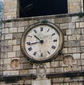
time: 10:43
